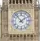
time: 1:53
